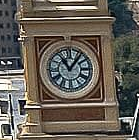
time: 11:06
